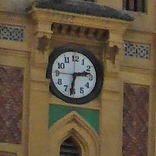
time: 2:31
